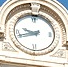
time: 9:42
